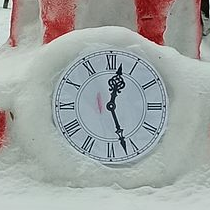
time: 12:26
